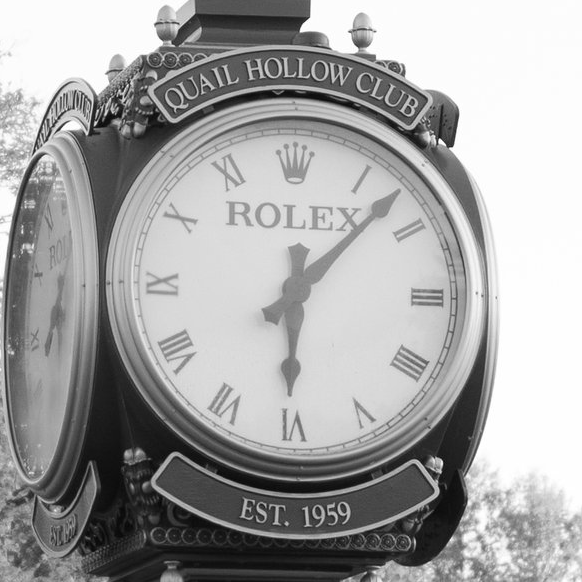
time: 6:07
